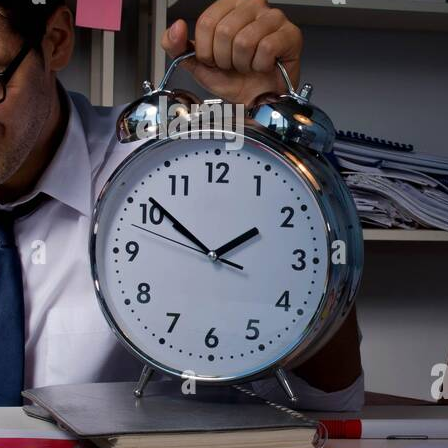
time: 1:51
